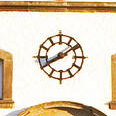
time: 8:09
